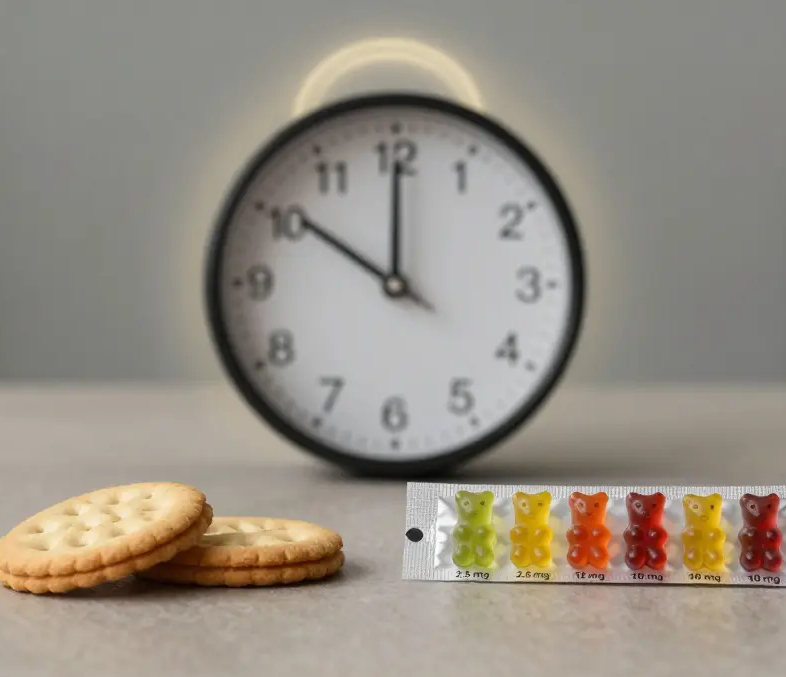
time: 10:00
